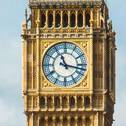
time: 11:17
